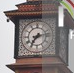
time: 7:13
